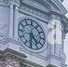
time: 4:31
